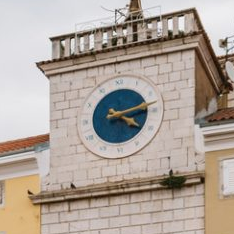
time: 4:12
